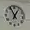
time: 12:55
